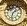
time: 1:32
